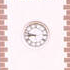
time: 8:47
